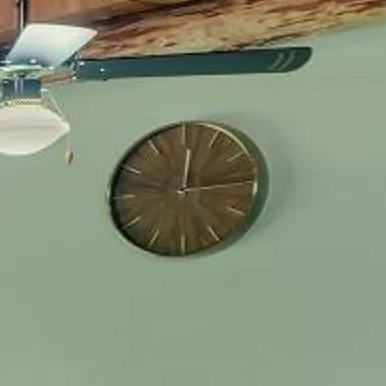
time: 12:14
